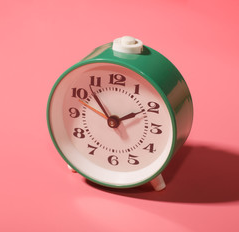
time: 1:53
